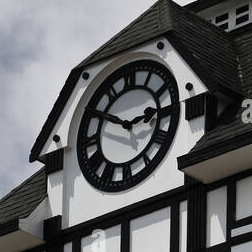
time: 2:48
